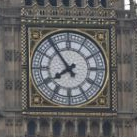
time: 7:53
